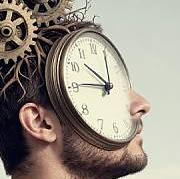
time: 10:45
